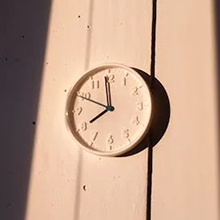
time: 7:58
